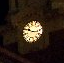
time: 10:17
